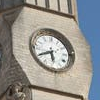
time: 5:40
